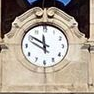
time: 11:50
